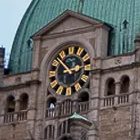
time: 2:52
